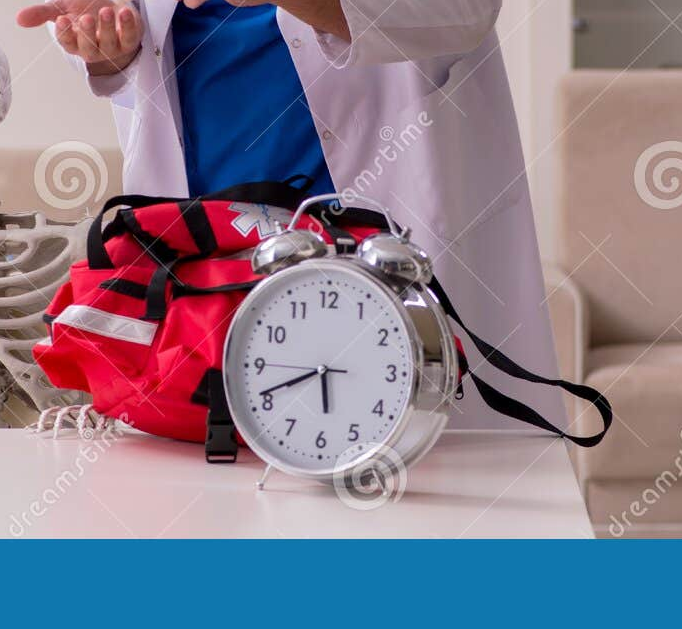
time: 5:41
